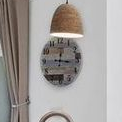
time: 12:16
